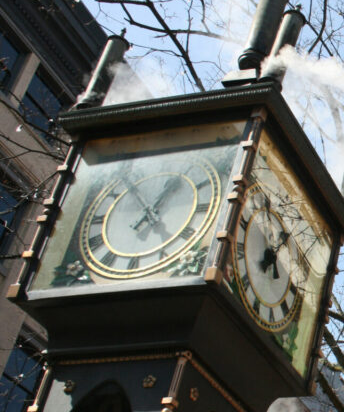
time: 12:53
